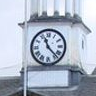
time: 11:22
